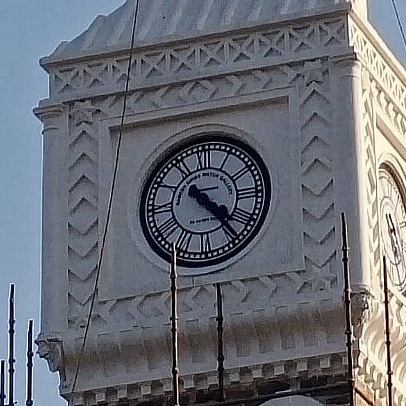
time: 4:23
